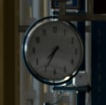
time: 7:34
